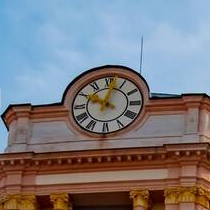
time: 10:02
